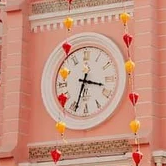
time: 3:33
